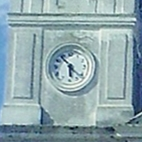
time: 5:53
